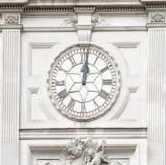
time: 12:01
